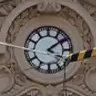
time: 4:09
